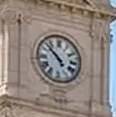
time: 4:52
